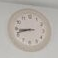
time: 8:42
